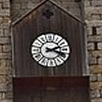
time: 2:18
